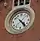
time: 4:23
